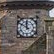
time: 11:50
